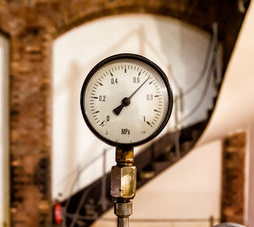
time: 7:08
